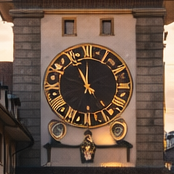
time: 10:59
